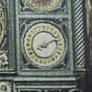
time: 8:11
